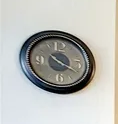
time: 4:20
